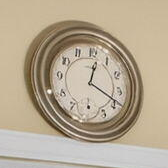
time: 12:18
